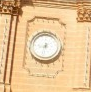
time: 8:32
